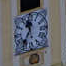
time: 11:35
